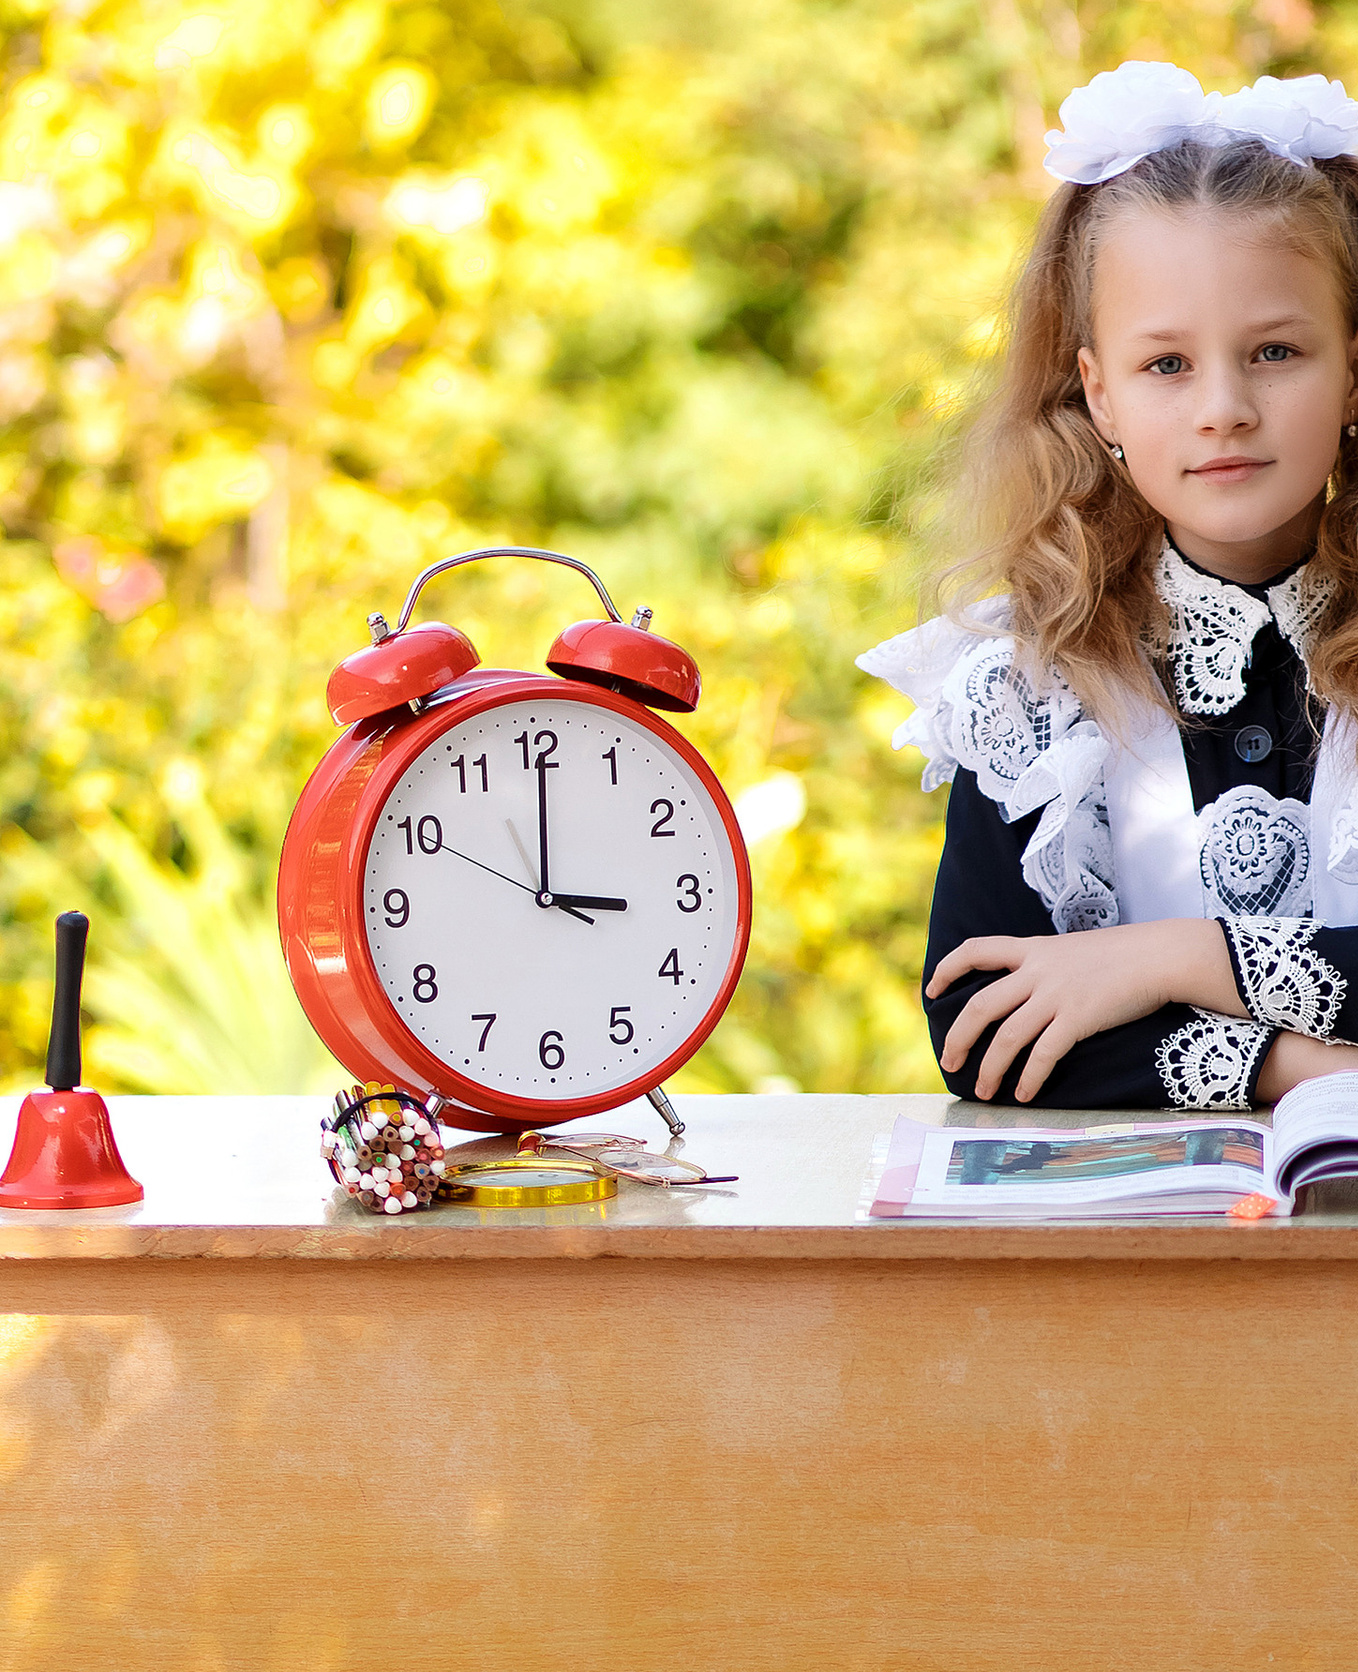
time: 3:00
